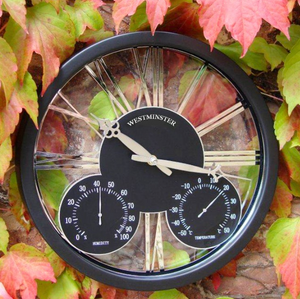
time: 10:17
